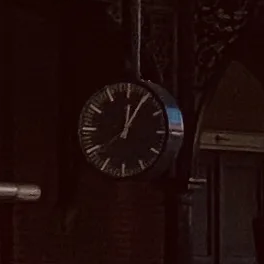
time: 12:04
